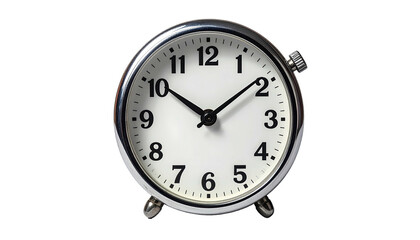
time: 10:08
